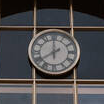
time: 7:59
